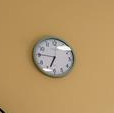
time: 6:45
